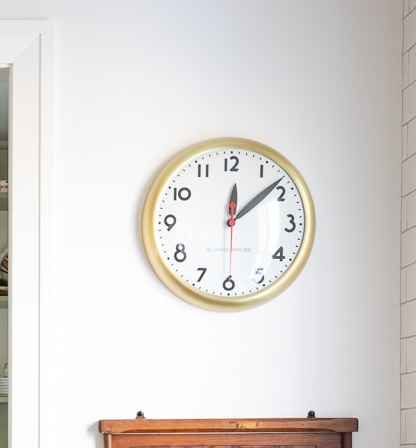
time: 12:08
